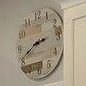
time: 2:41
